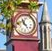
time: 4:42
